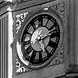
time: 2:24
